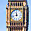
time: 11:42
